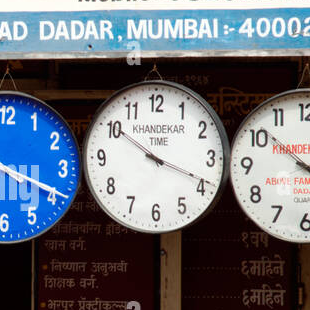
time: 3:50
